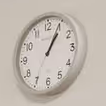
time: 1:04
